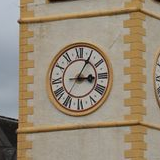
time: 3:05
